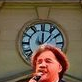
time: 12:07
